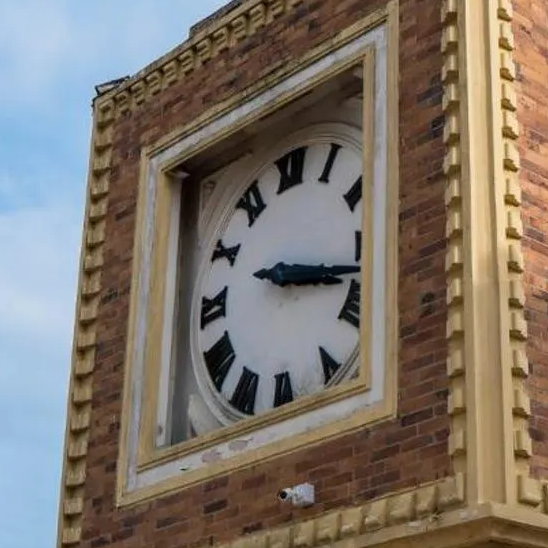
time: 3:17
